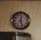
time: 12:27
